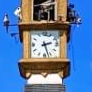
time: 2:27
